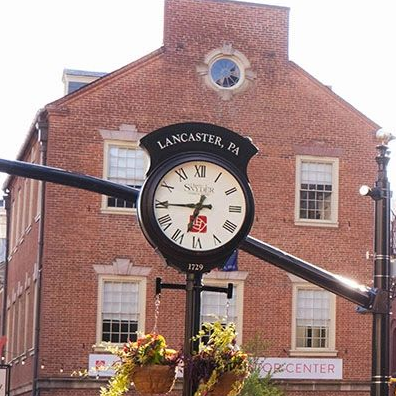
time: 6:45
